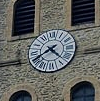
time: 4:39
